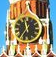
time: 11:35
